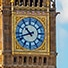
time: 10:42
